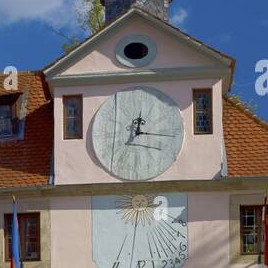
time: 12:15
